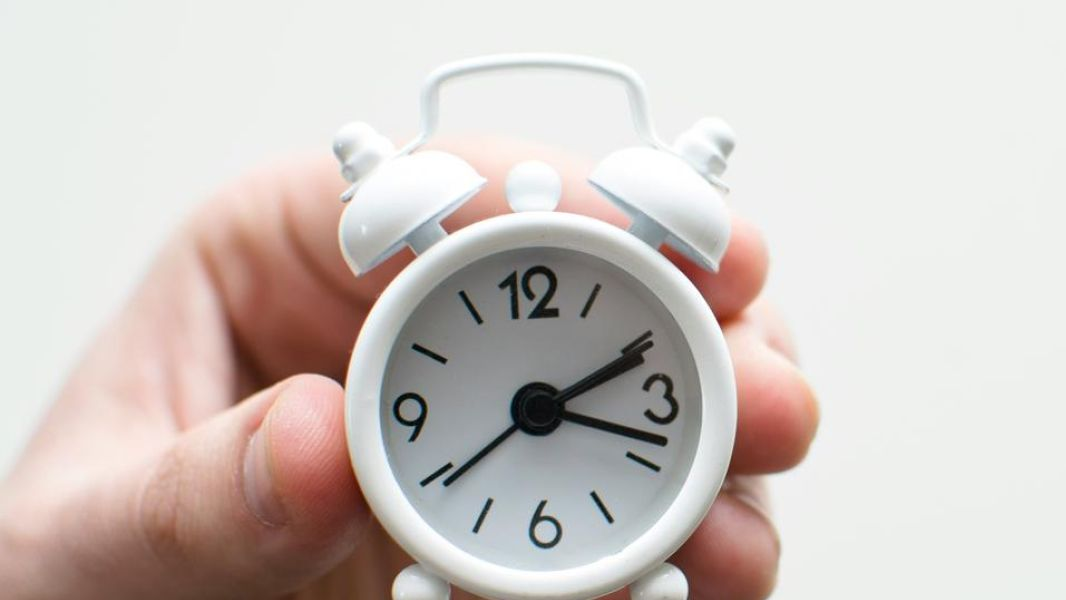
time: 2:18
